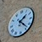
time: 1:22
